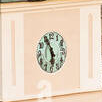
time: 5:55
